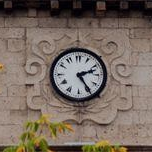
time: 2:24
